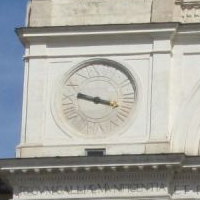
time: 9:17
